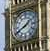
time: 1:40
